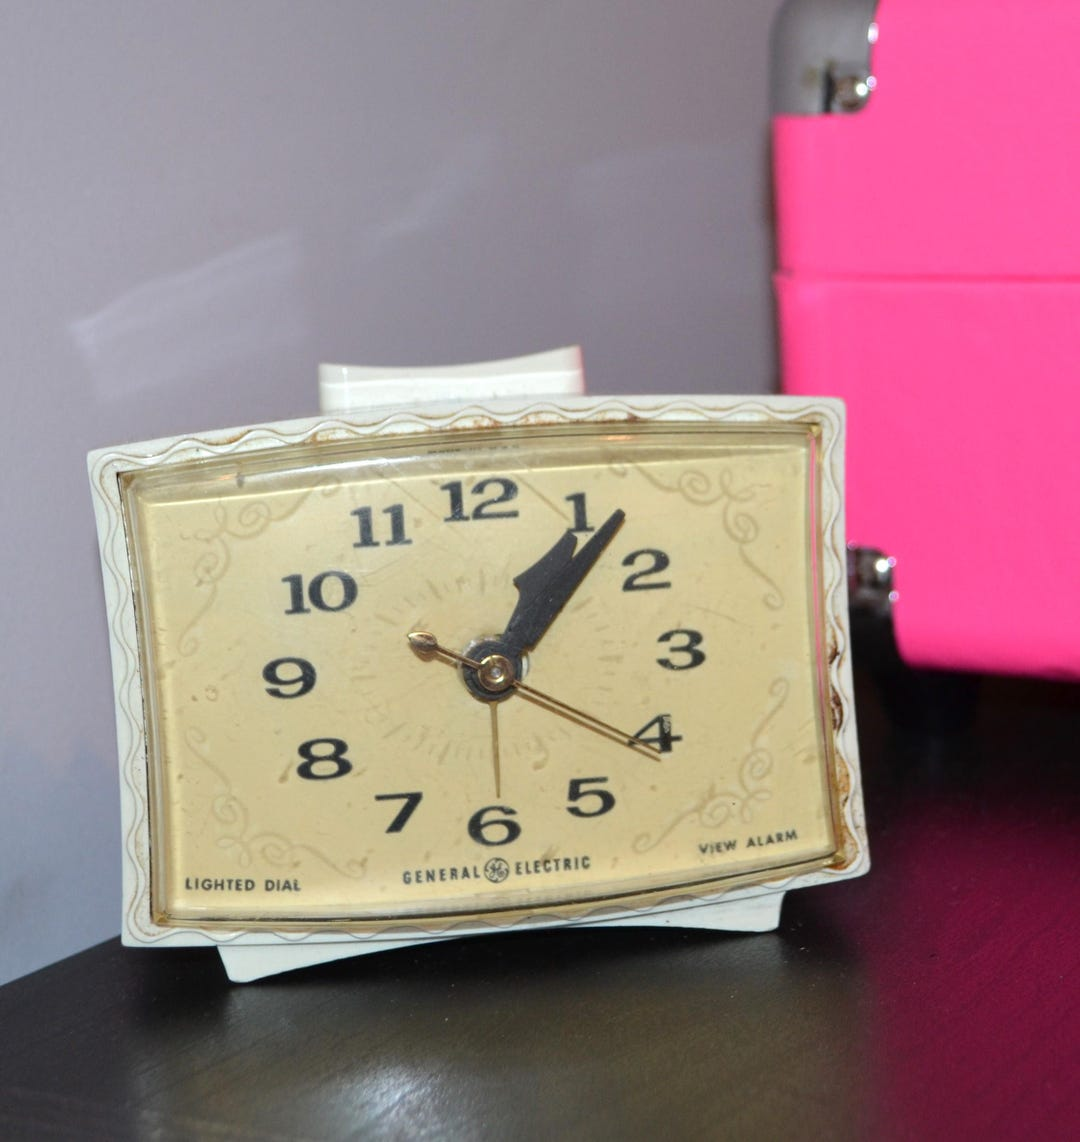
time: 1:06
